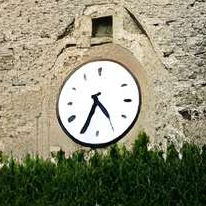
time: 4:34
